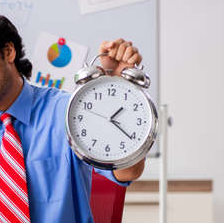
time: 1:21
